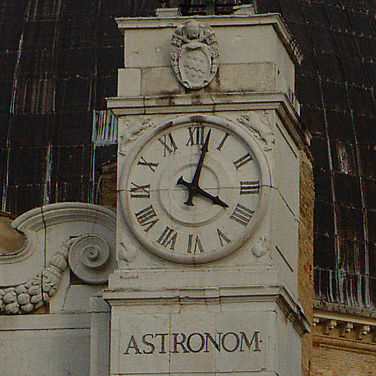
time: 4:02
